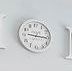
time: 9:15
